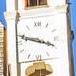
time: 3:48
